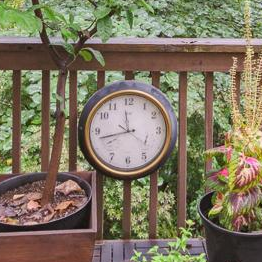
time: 11:42
